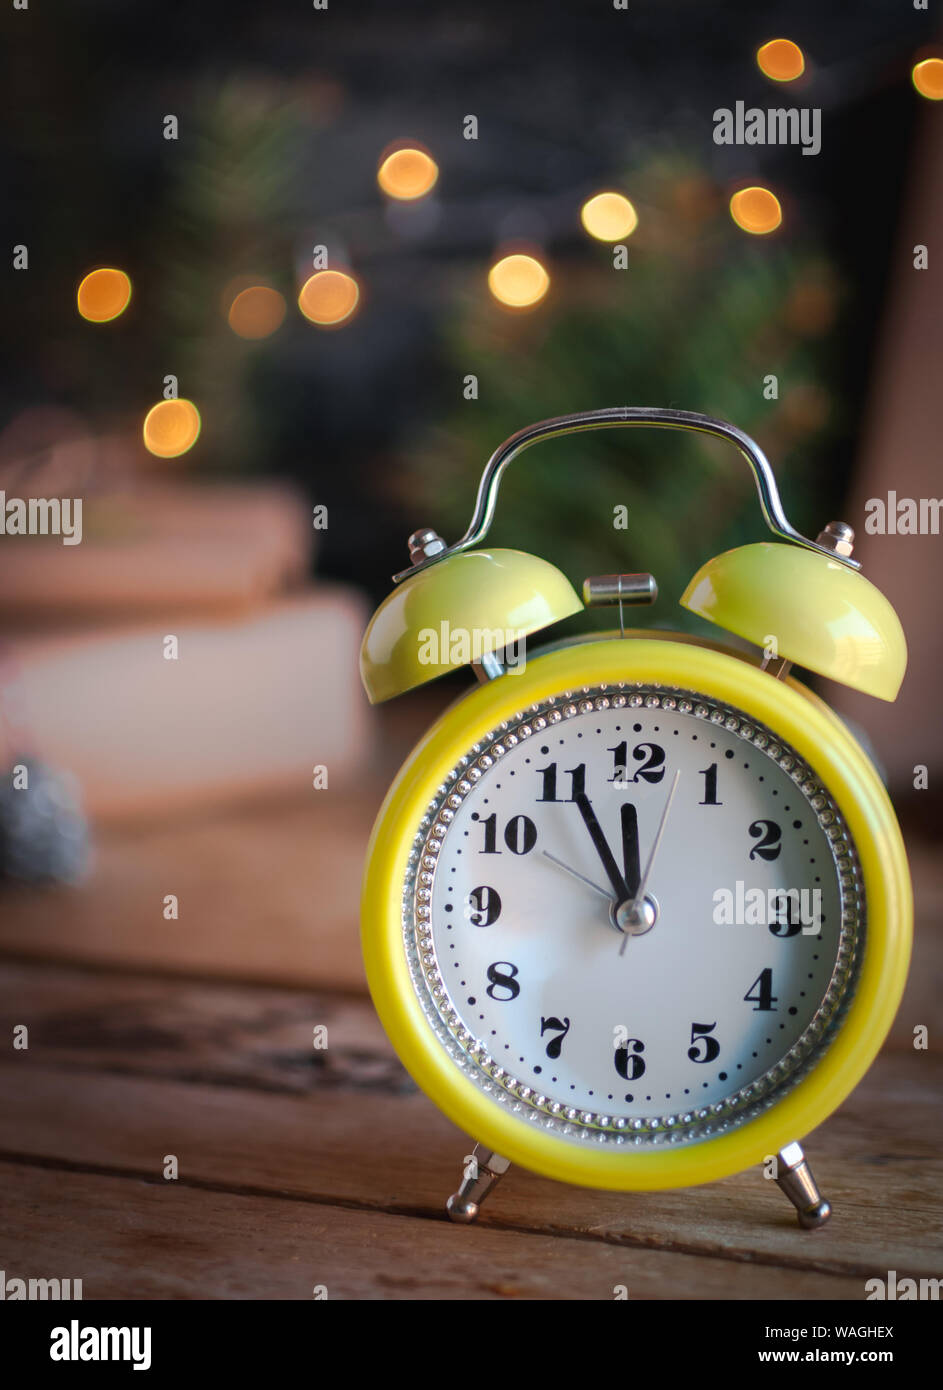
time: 11:55
